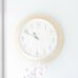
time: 10:49
